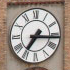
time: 7:15
